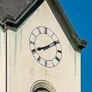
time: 8:09
